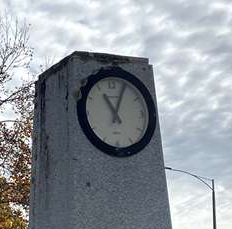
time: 11:04
